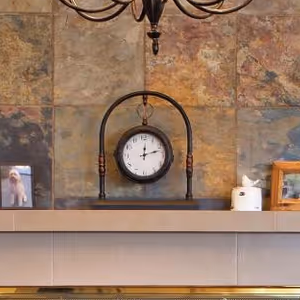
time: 12:12
